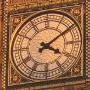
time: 4:09
